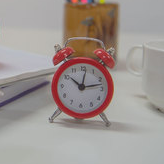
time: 10:12
